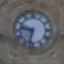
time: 9:32
